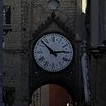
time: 2:52
